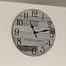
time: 11:12
